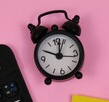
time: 10:02
